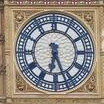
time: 6:26
